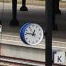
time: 12:46
